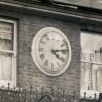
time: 4:13
